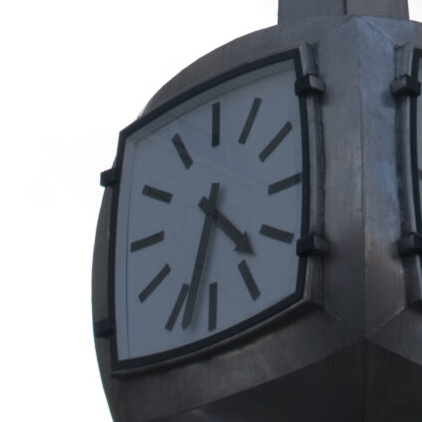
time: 4:34
